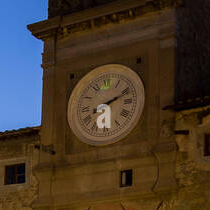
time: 2:11
